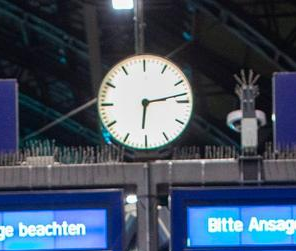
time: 6:13
